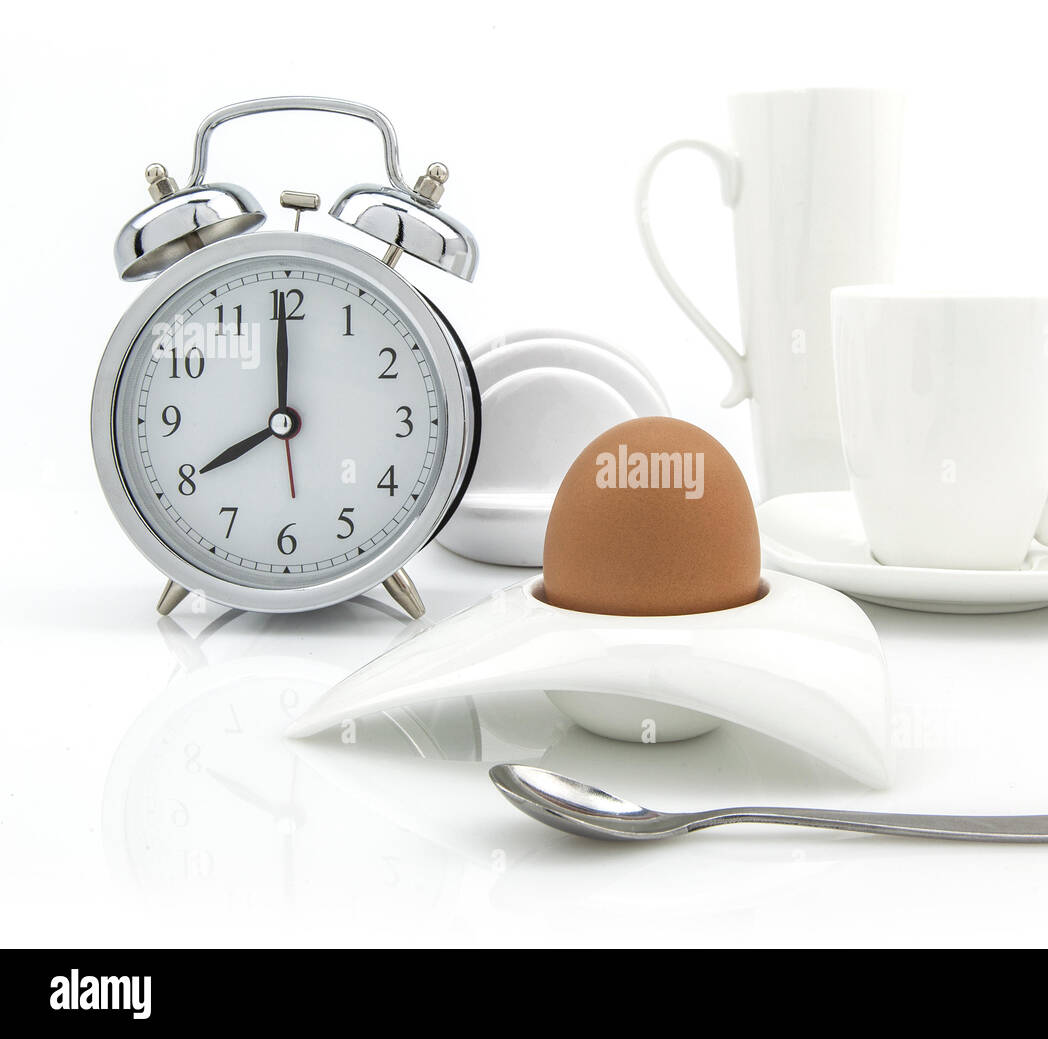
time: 7:59
